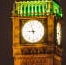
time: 8:57
